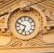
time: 6:48
